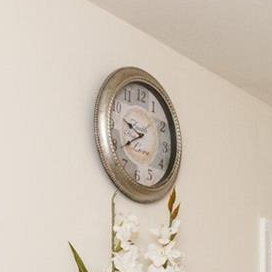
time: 9:39
